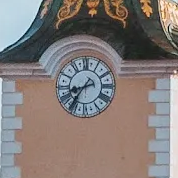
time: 8:36
